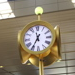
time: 11:35
